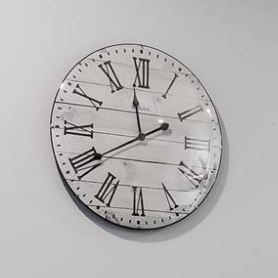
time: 11:40
